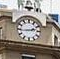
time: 2:44
